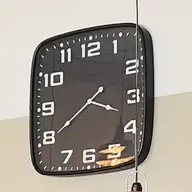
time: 3:39
